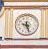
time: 9:27
